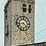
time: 4:42
